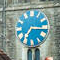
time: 7:16
